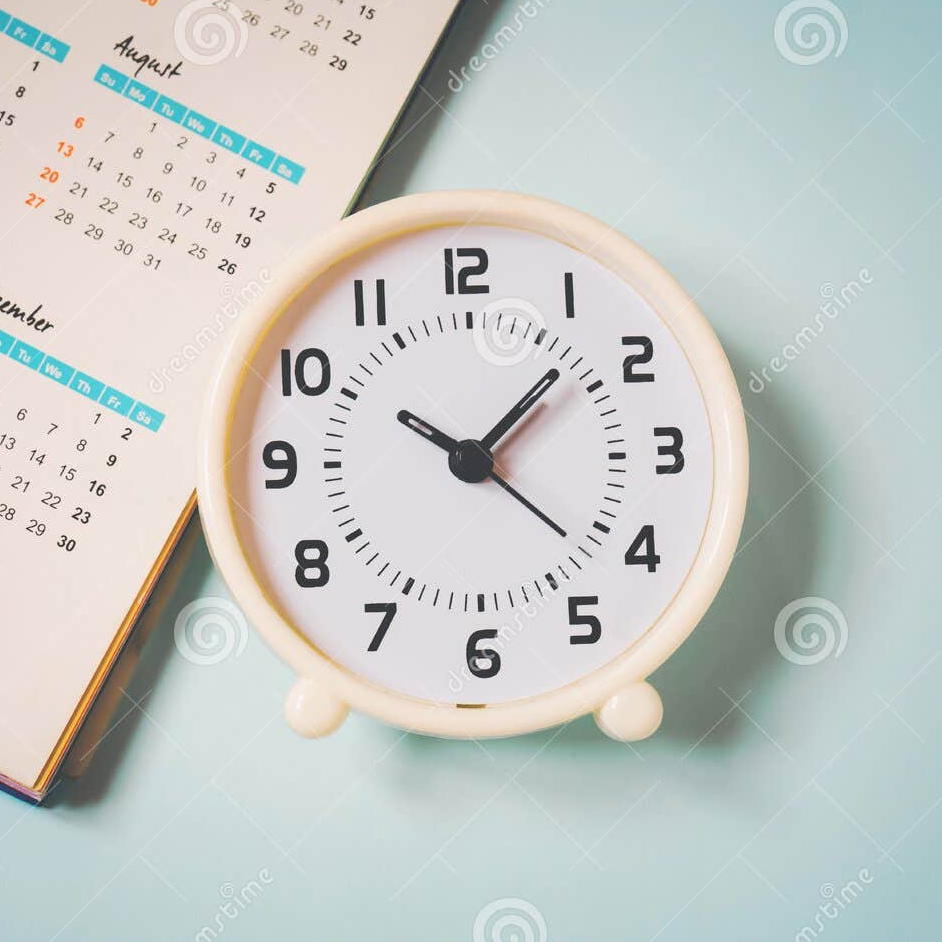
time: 10:07
